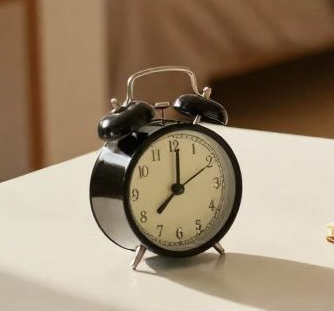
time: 8:01
